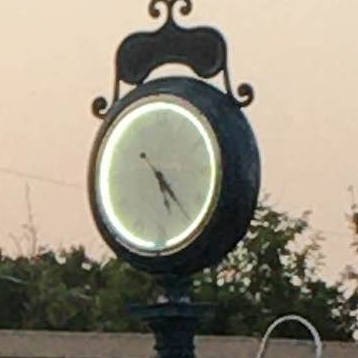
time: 5:23
